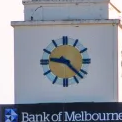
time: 9:22
